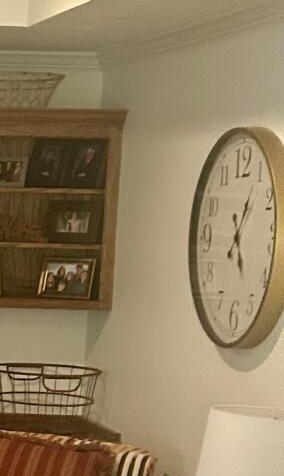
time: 5:05
